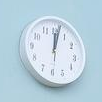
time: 12:01
